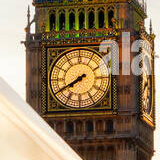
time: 7:40
